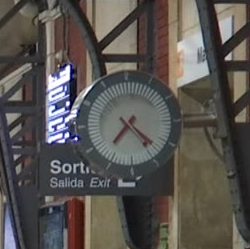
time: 7:22
